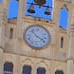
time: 3:52
